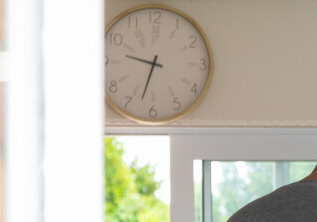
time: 9:32
